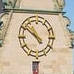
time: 10:51
